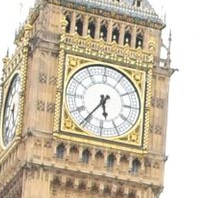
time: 5:36
